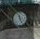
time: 11:25
